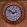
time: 1:50
